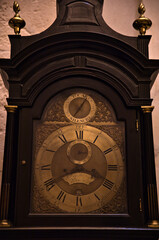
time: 3:40
